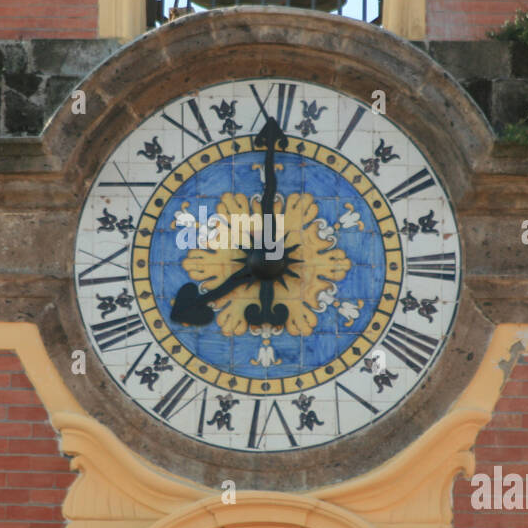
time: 7:59
